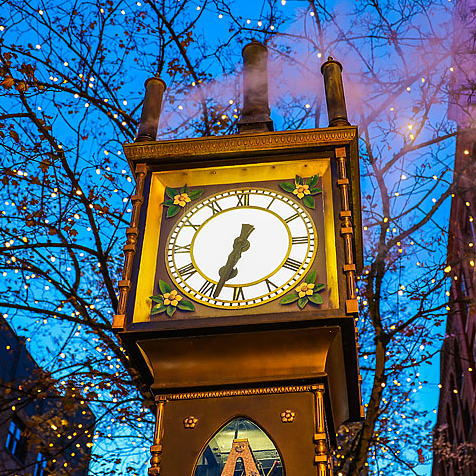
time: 6:33
